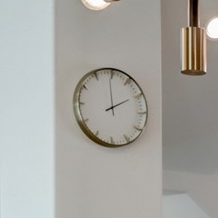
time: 1:59
